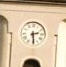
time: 2:29
